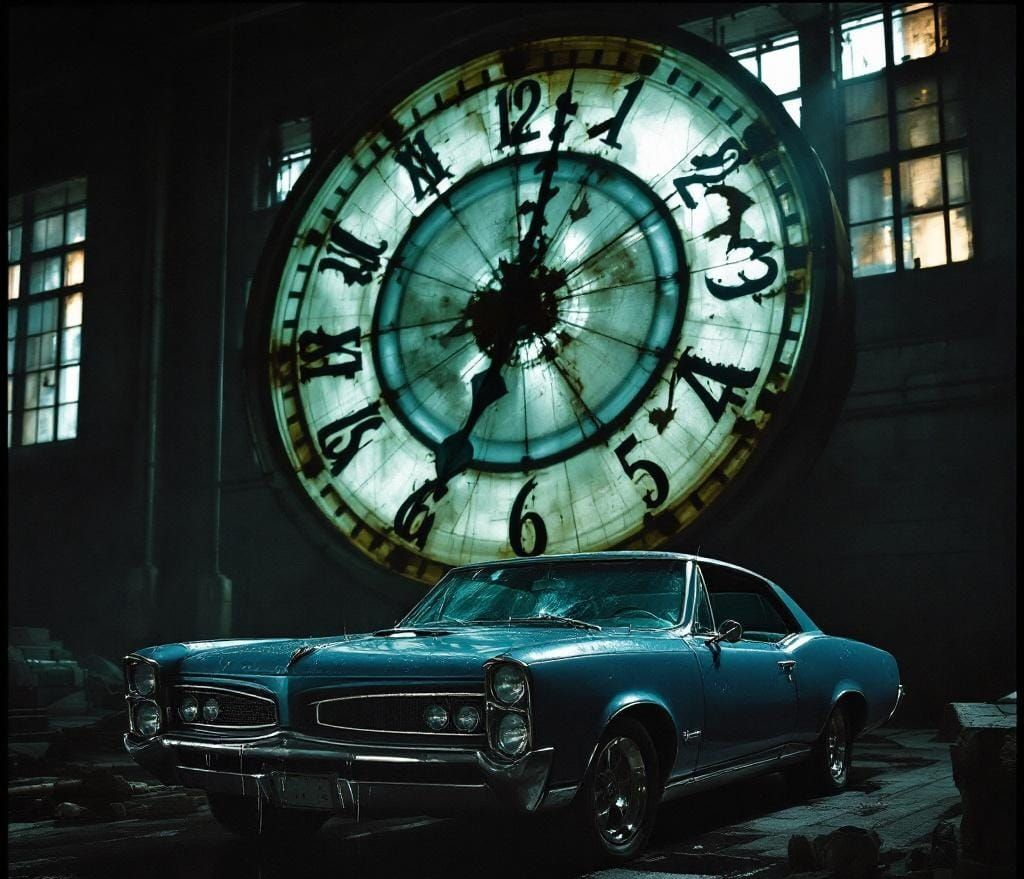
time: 12:34
